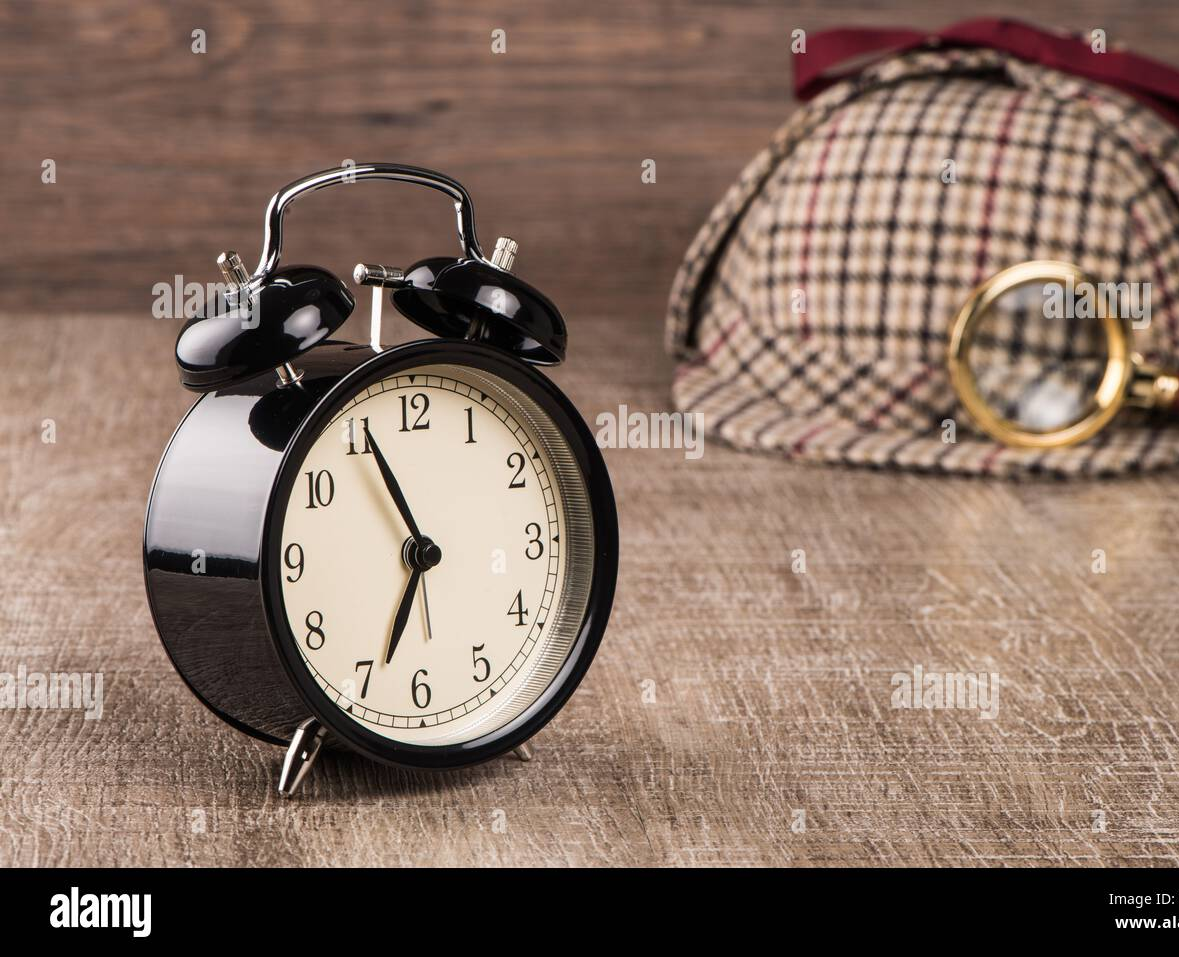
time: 6:55
